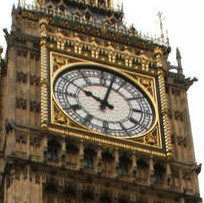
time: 10:02
